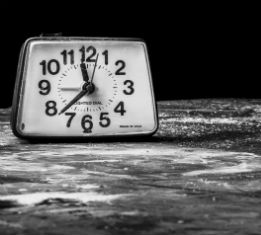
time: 11:37
